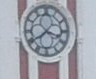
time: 3:39
